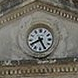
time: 8:25
